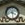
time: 3:28
